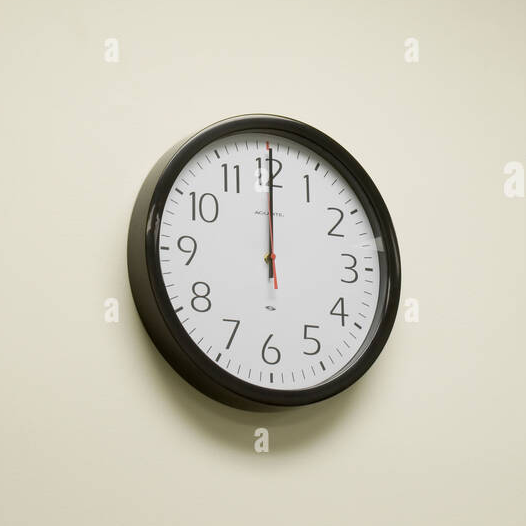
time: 12:00
